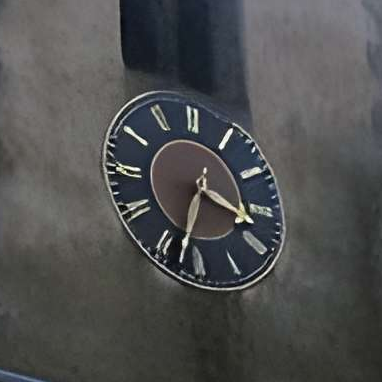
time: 3:32
